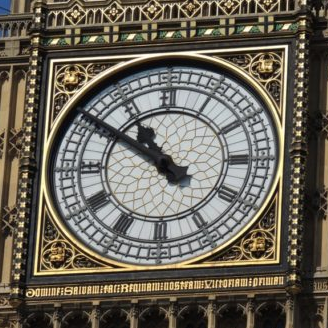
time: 10:50
